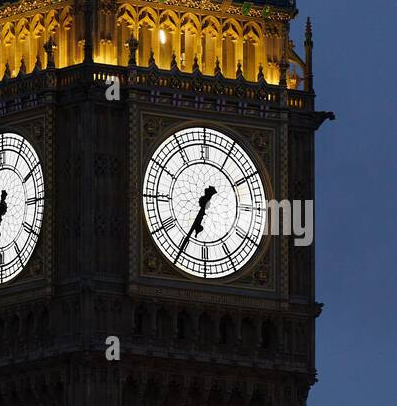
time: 6:34
